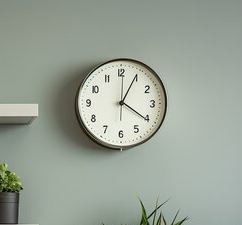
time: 4:04
